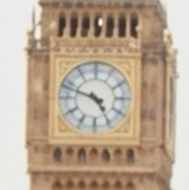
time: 4:48
